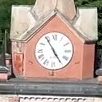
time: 4:54
